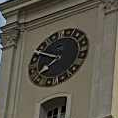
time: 7:49
